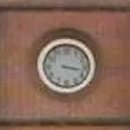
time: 3:17
